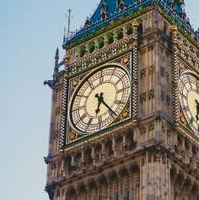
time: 6:24
